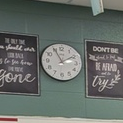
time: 1:55
